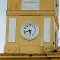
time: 5:42
